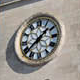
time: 1:38
